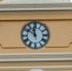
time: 11:51
